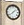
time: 1:39
